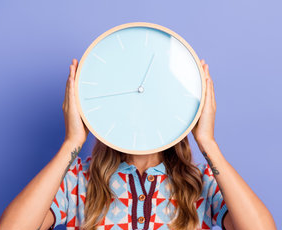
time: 12:42
